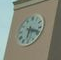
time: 6:18
